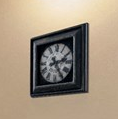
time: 2:24
